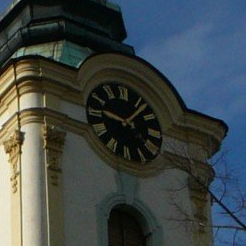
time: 9:07
